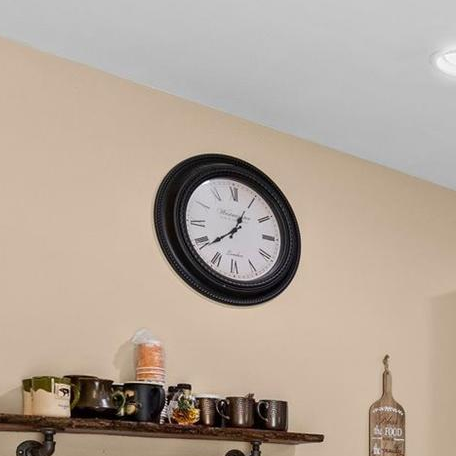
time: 12:38
